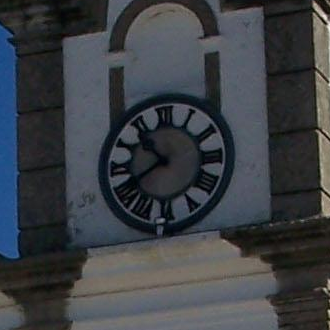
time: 10:39
